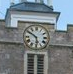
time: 5:50
